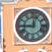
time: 9:01
